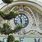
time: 11:28
